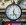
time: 12:23
